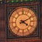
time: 4:10
